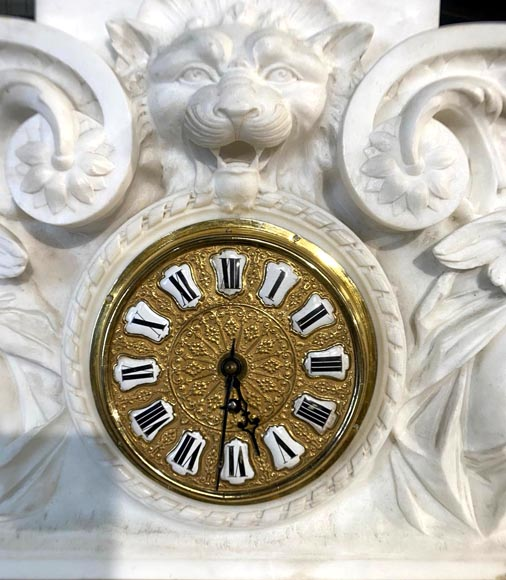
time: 5:31
